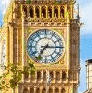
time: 7:15
